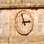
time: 2:57
